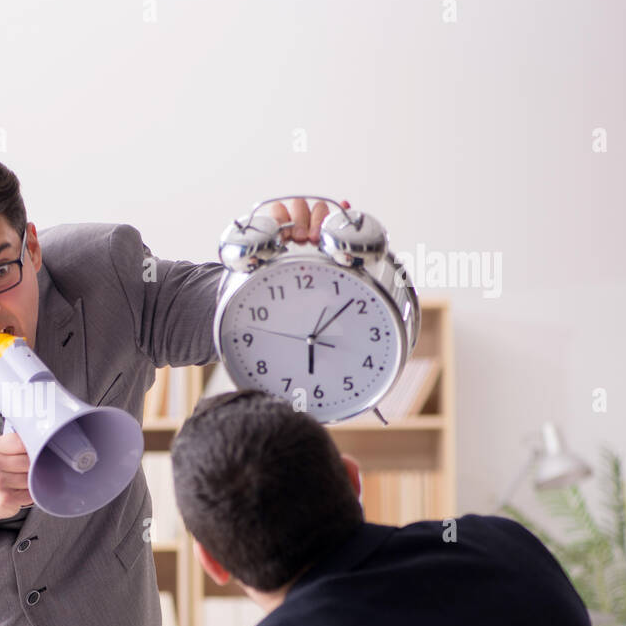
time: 6:08
